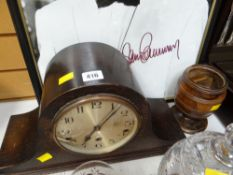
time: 7:07
